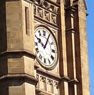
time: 10:05
